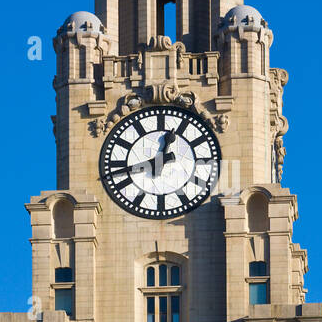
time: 12:42
